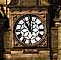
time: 11:01
